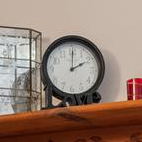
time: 2:00
